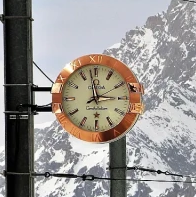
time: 2:58
